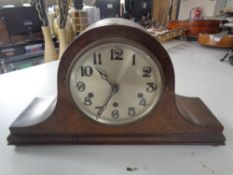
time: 10:34
